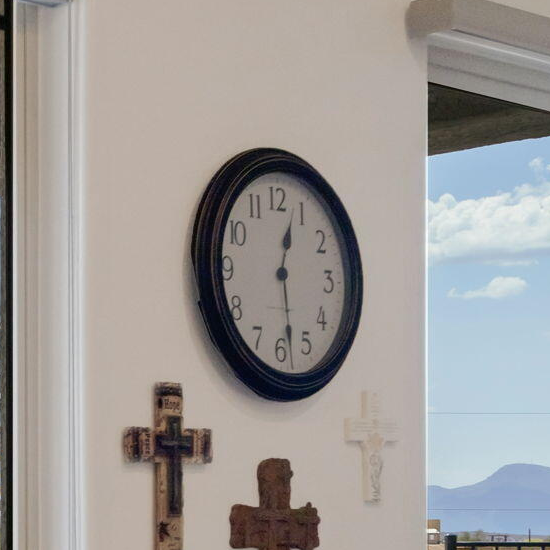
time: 12:28
